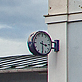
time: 3:29
